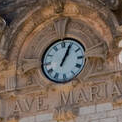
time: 1:04
